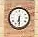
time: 6:29
